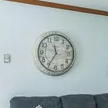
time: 11:35
